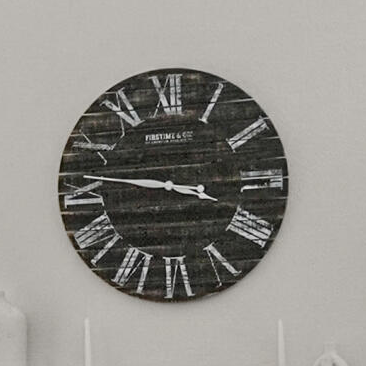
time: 3:46
